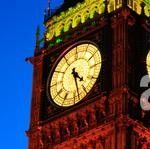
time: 4:28
